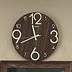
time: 11:40
